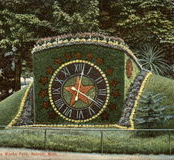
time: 4:02
